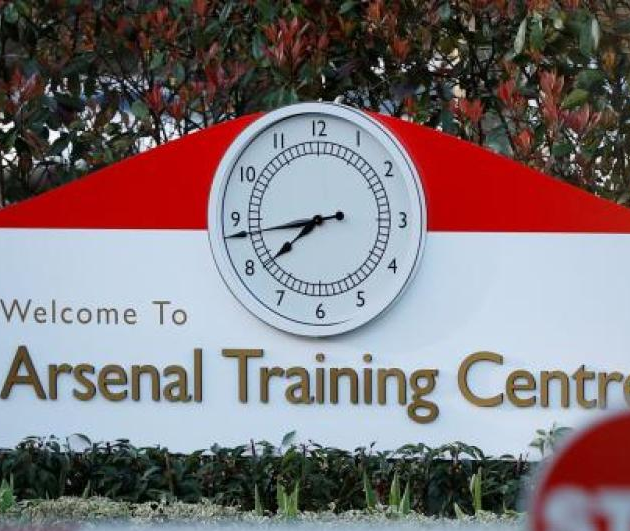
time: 7:43
